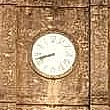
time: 8:42
